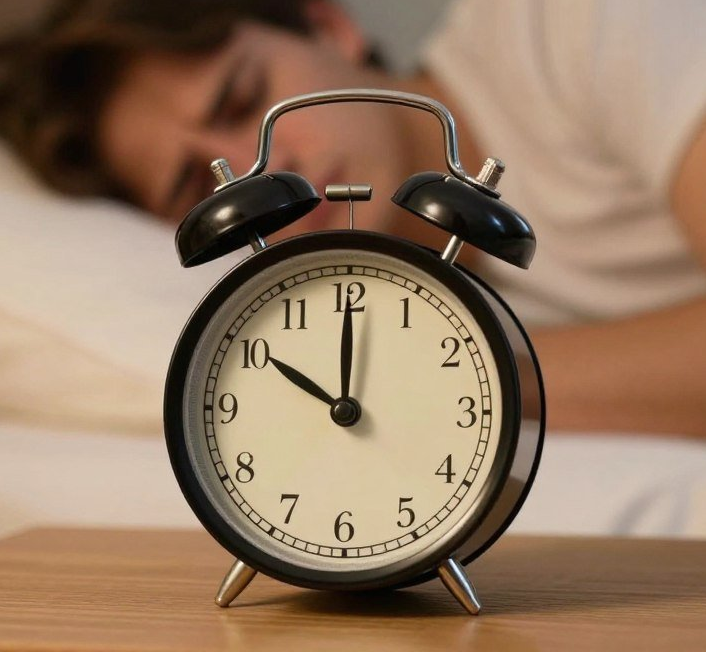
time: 10:00
